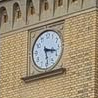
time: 3:28
